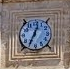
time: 12:34
